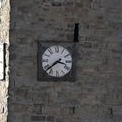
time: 3:38
